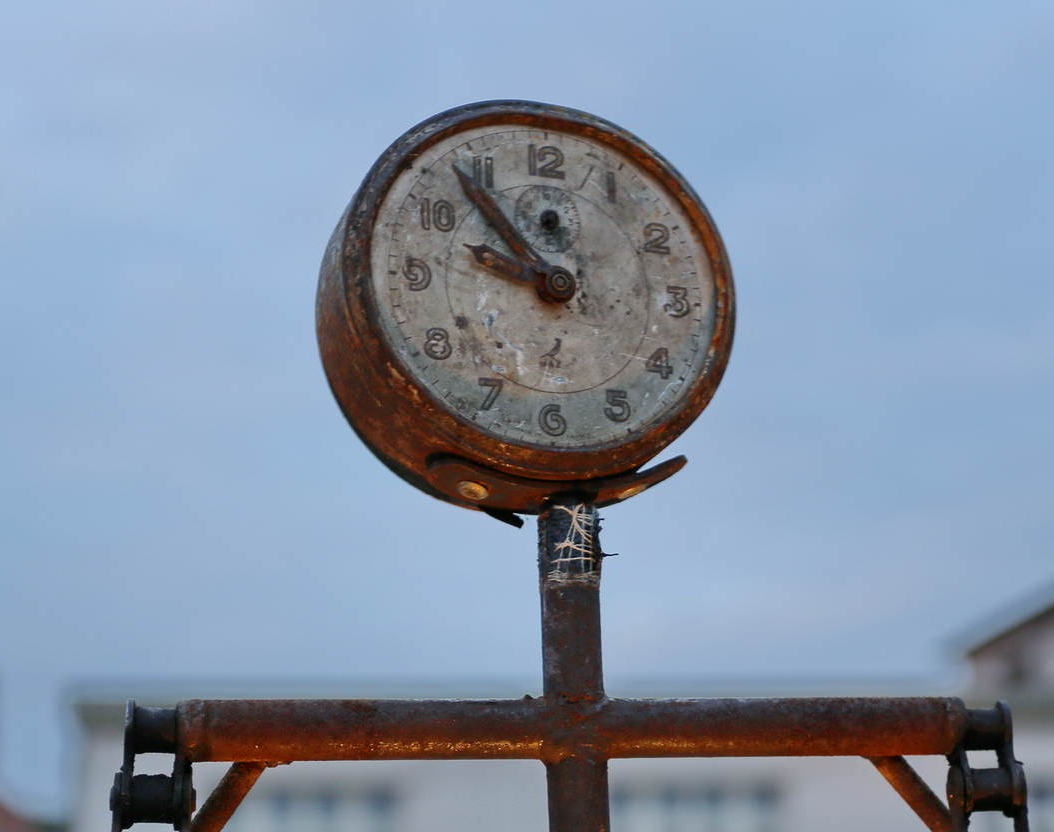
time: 9:53
